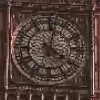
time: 4:02
